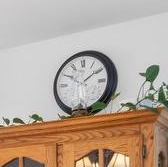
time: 1:50
